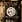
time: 8:23
